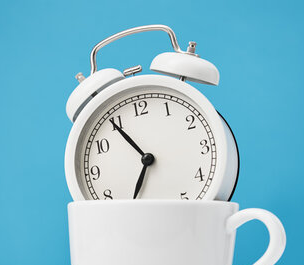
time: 6:54
